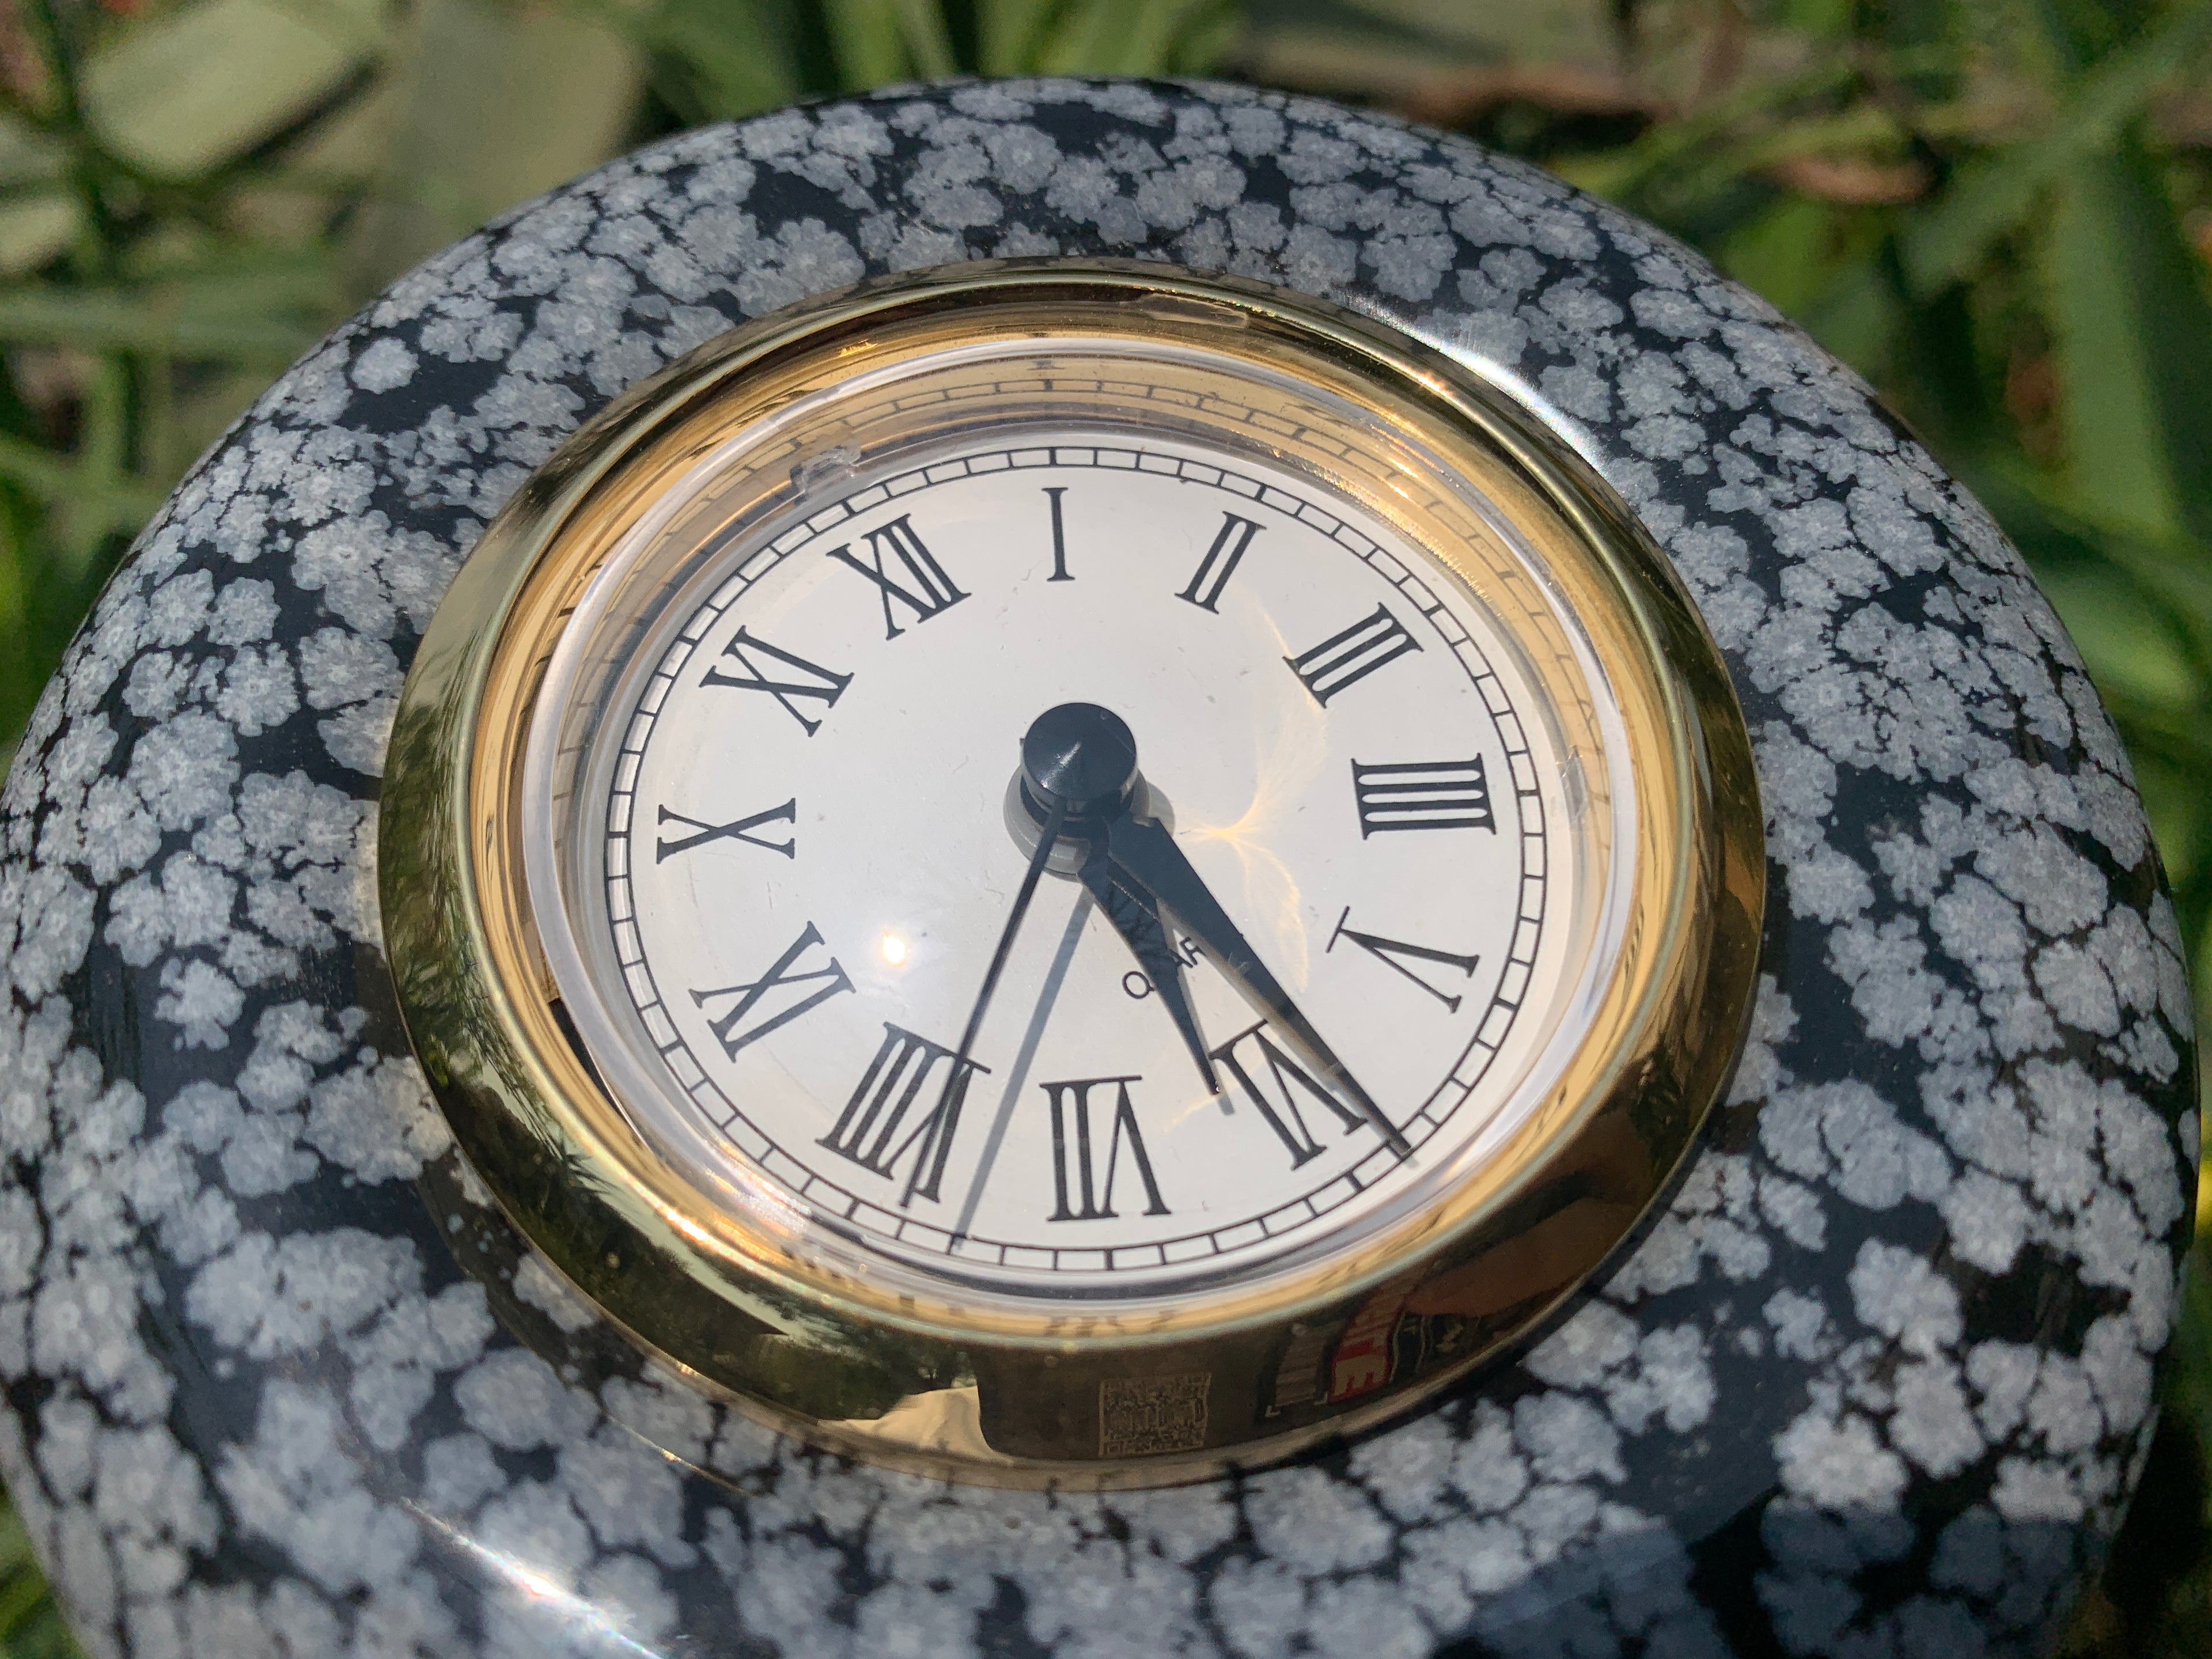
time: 5:24
